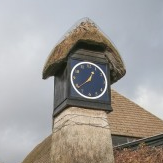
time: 12:38
